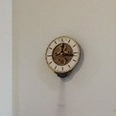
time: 12:16
